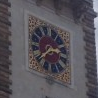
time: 2:38
